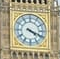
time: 4:18
